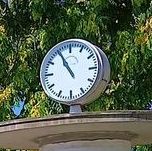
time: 10:55
